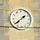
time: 1:38
